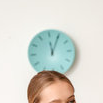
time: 12:04
